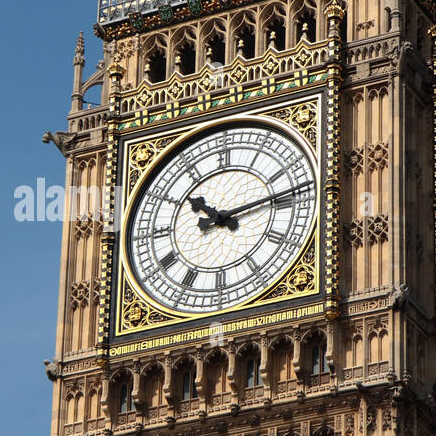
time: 10:13
